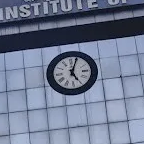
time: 5:03
